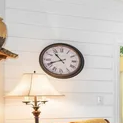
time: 10:41
